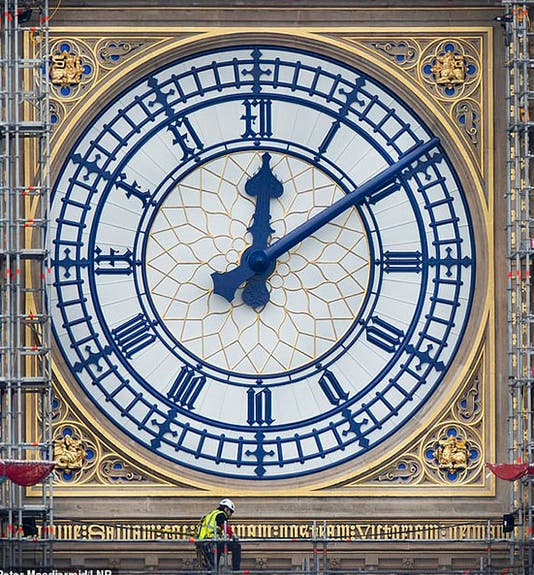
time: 12:09
